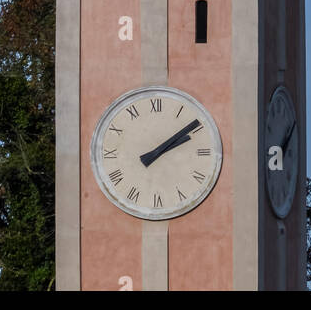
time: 2:09
